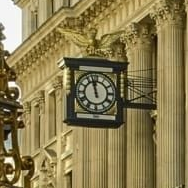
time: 11:57
